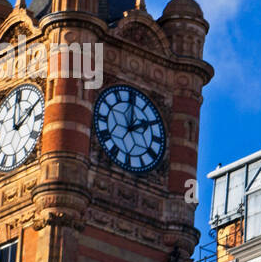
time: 2:00
